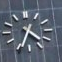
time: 4:34
